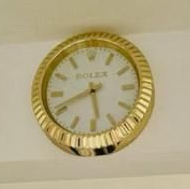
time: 5:41
